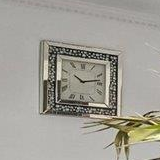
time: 10:13
